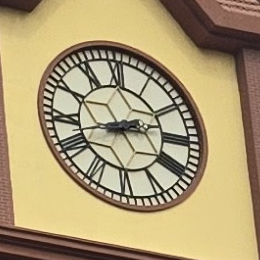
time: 2:42
